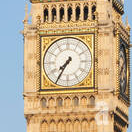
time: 7:35
